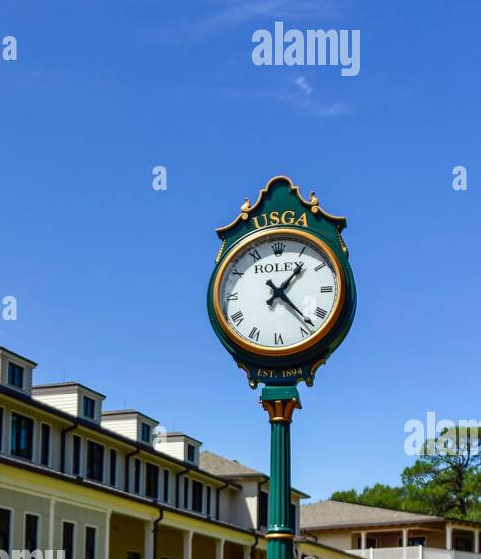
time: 1:22
